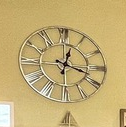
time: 12:18
